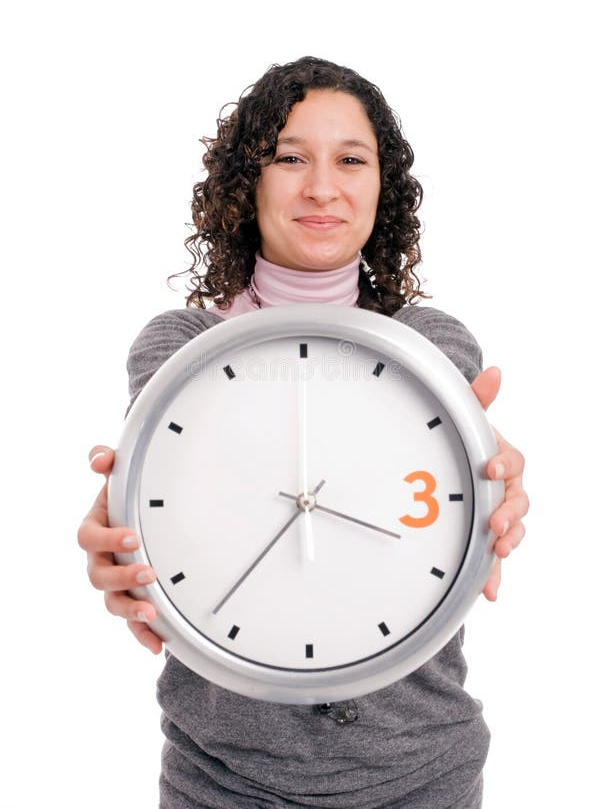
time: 3:36
